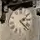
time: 2:22
